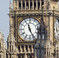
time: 11:25
